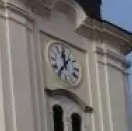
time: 11:36
